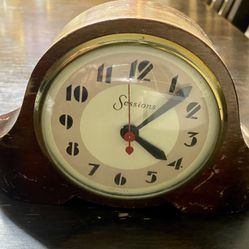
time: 4:07
